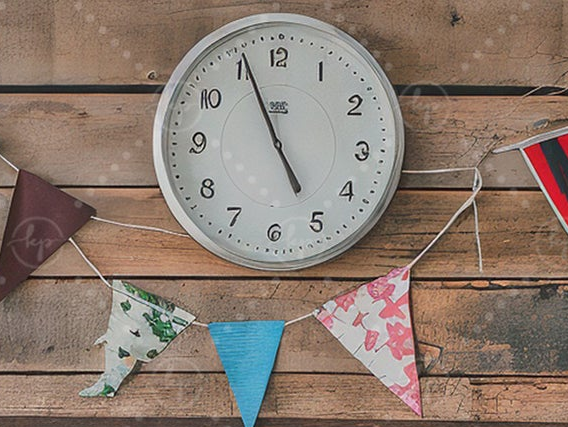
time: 4:56
